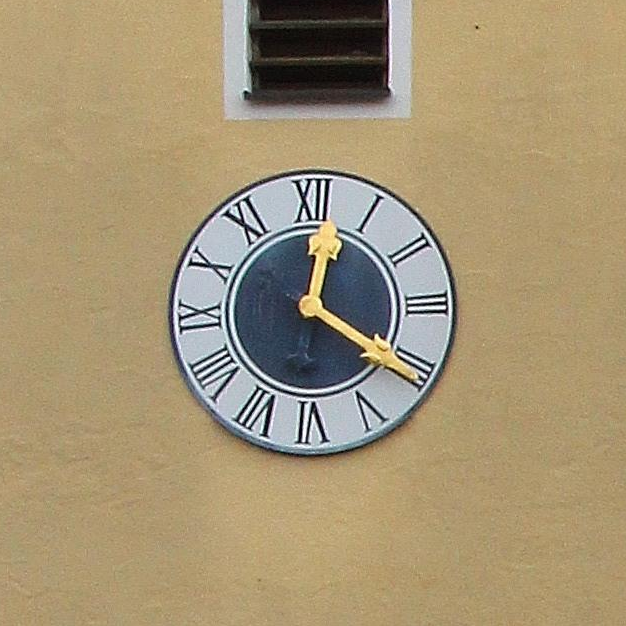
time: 12:20
